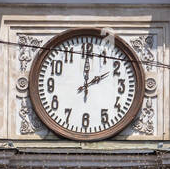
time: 2:00
